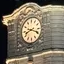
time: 8:18
